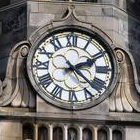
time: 2:22
